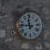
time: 11:46
